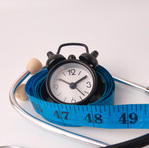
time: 1:50
